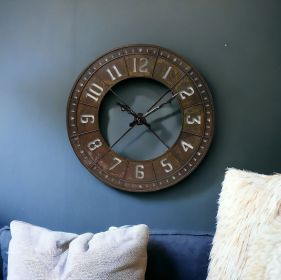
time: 1:51
